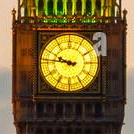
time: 9:45
